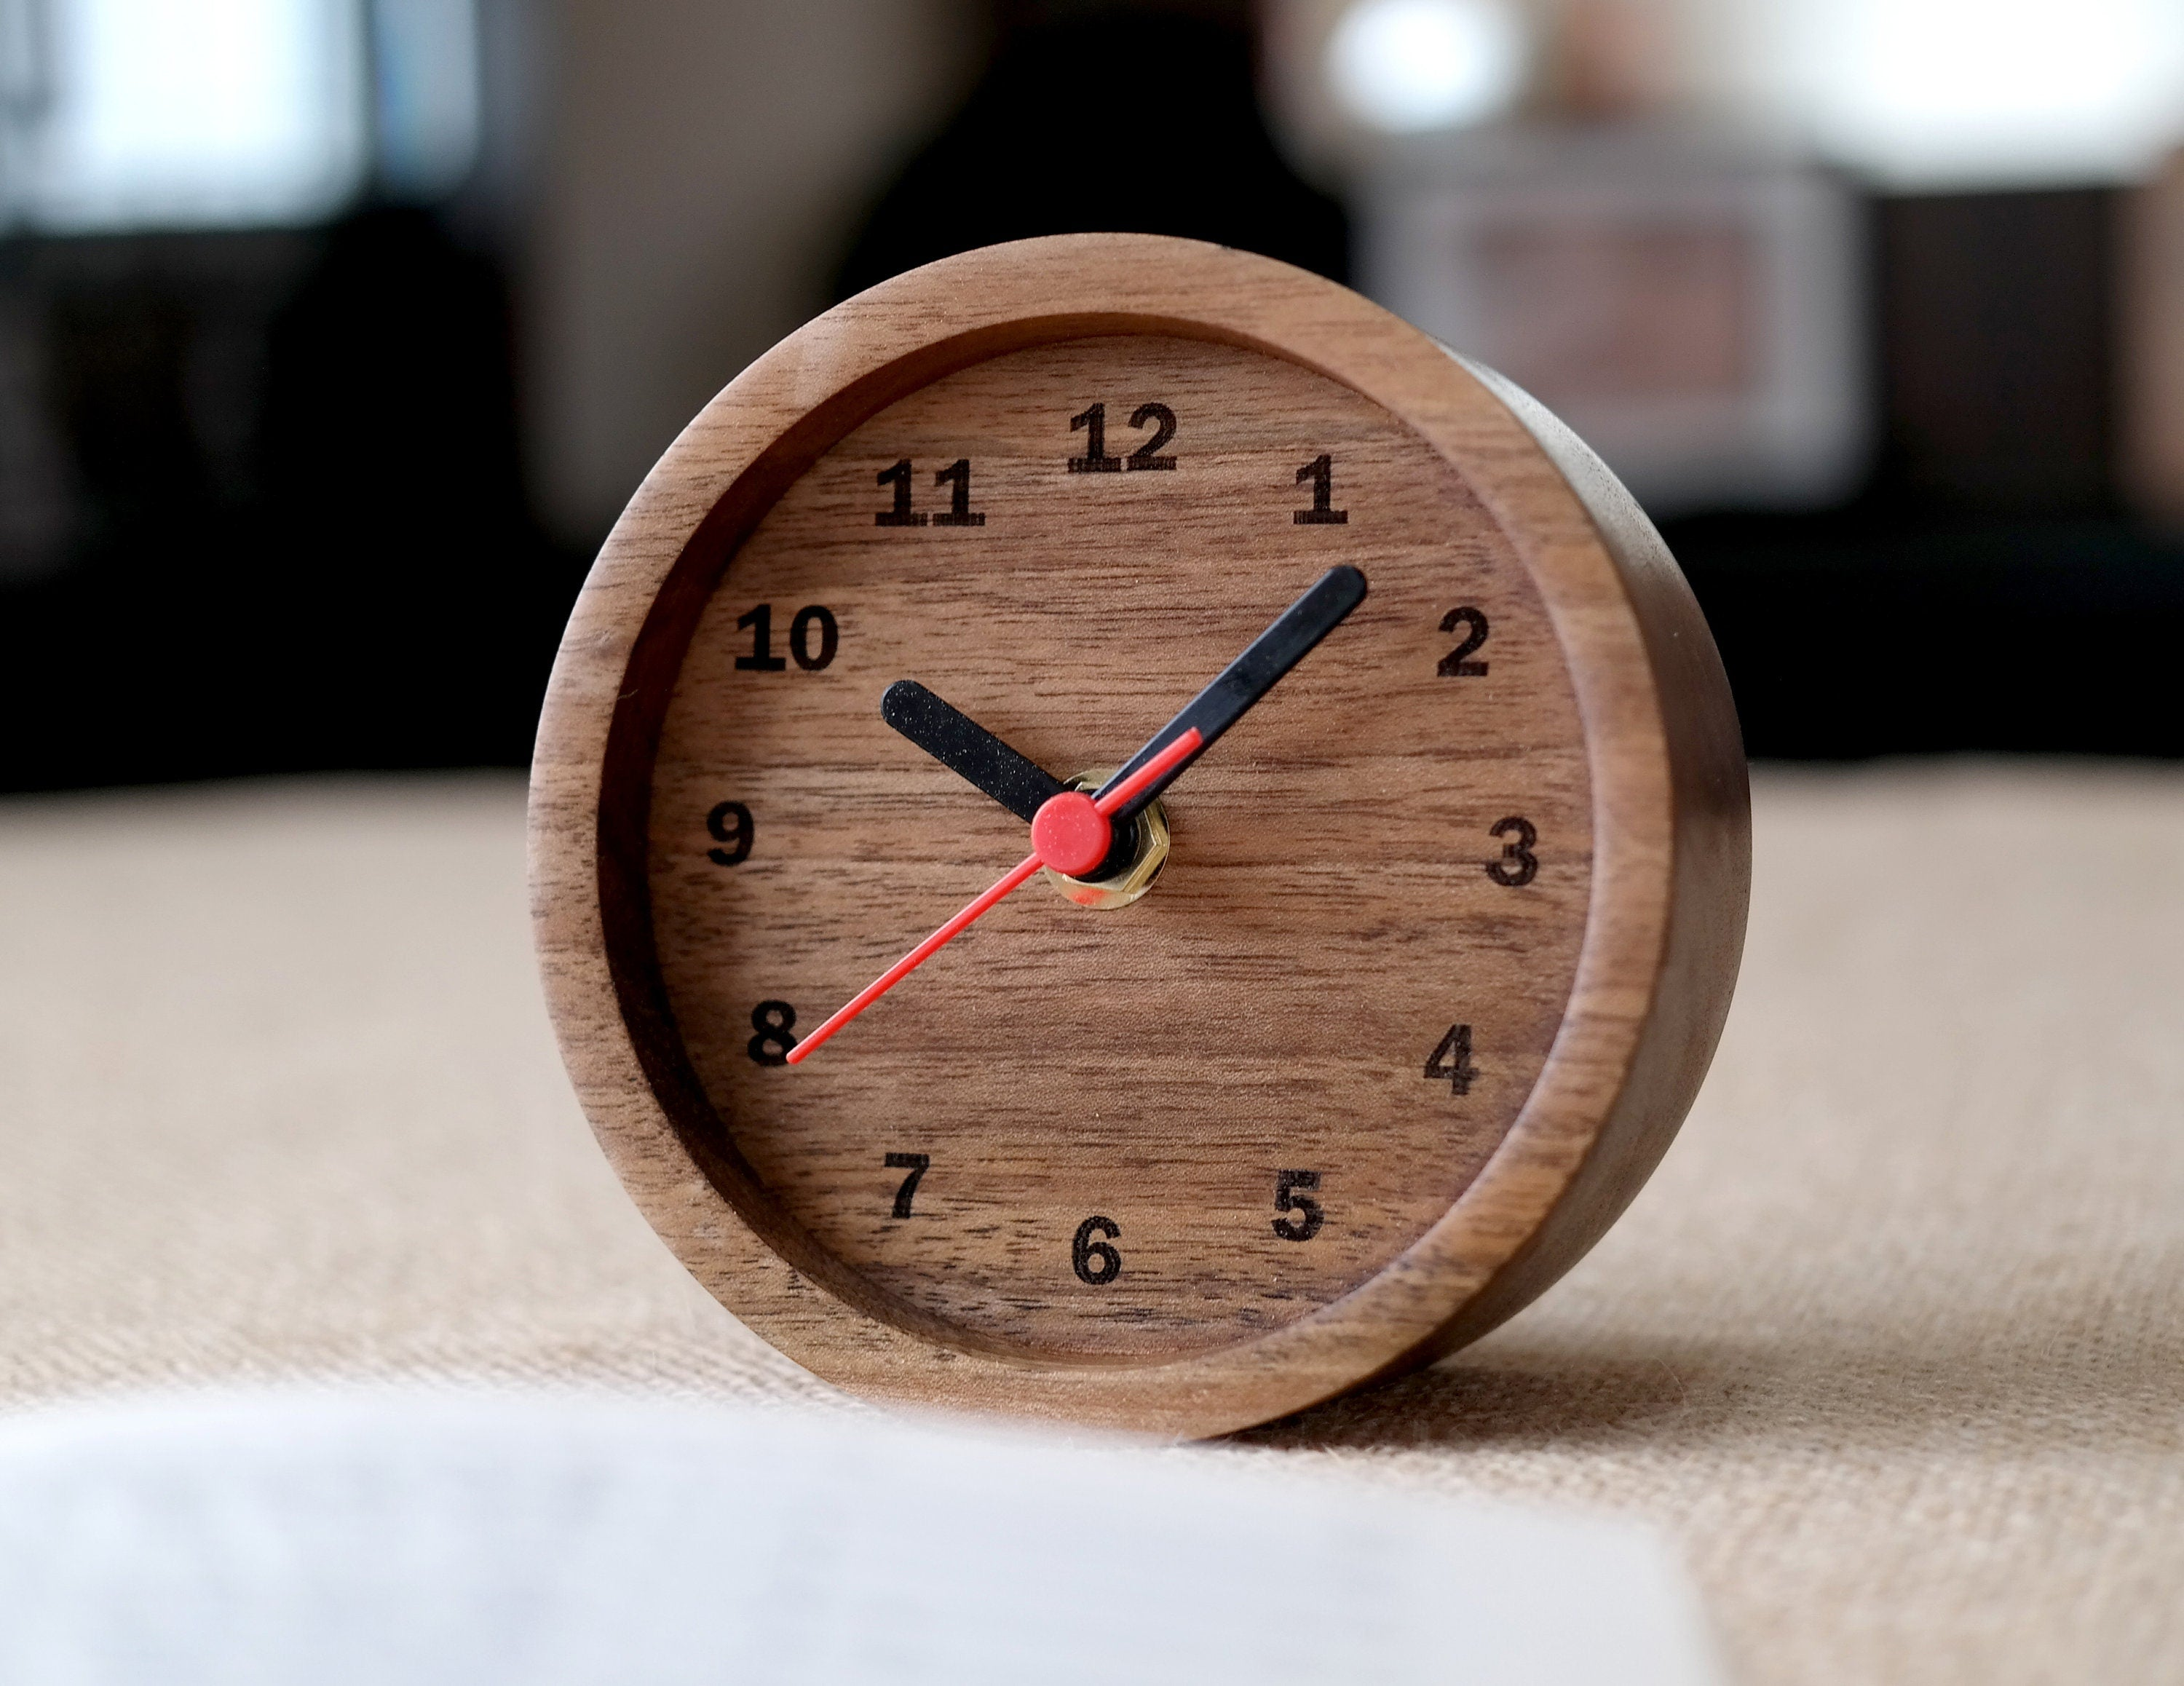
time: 10:07
